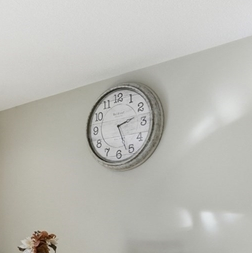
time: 2:26
